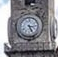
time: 5:15
